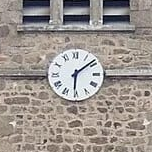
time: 6:08
